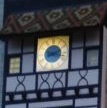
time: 2:17
